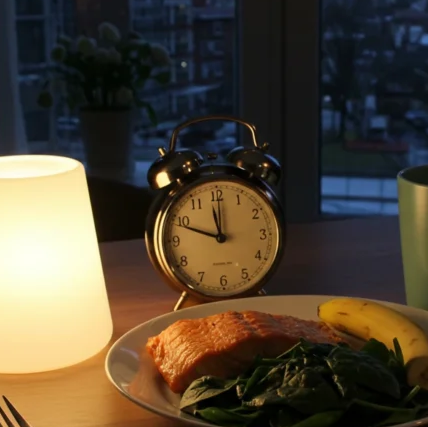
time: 11:48
